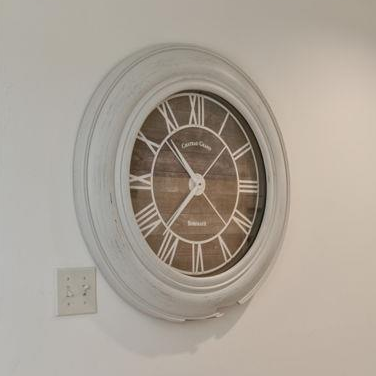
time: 10:37
